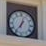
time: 12:36
